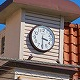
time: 3:29
